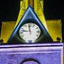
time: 11:46
